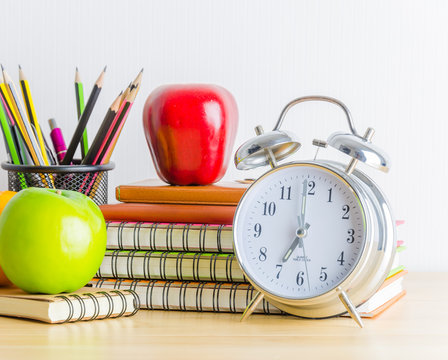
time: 7:00
